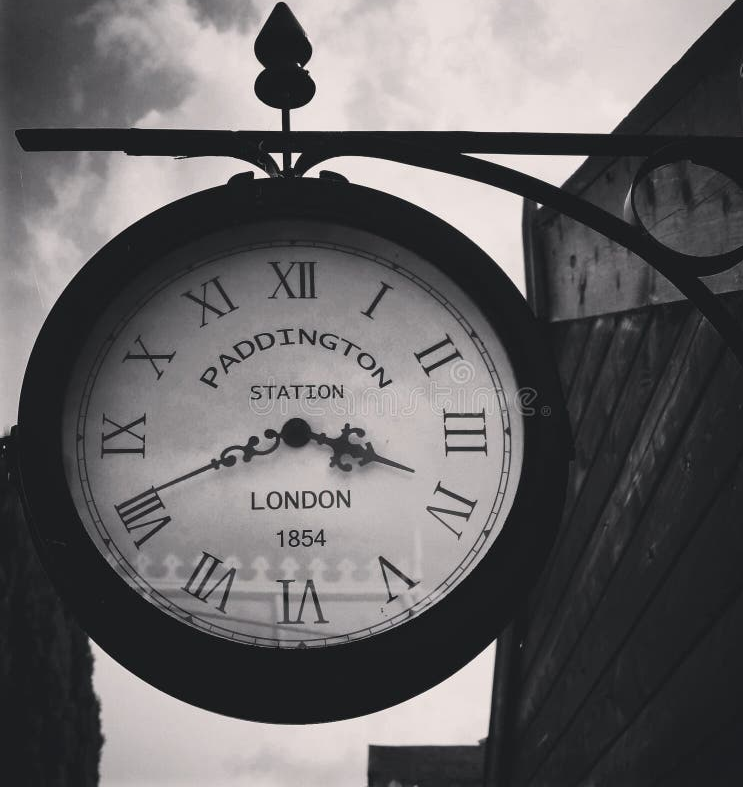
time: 3:41
